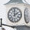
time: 1:59
